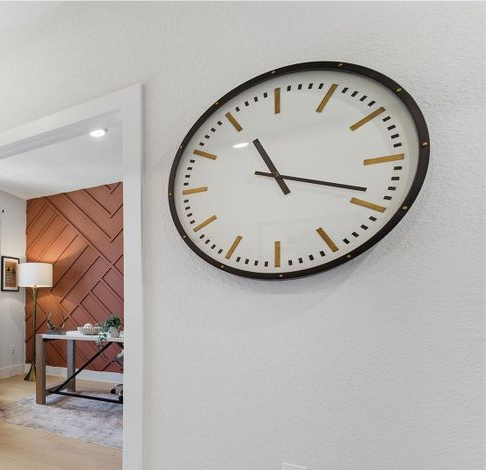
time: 11:18
